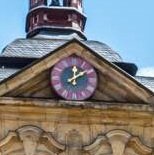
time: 12:09
